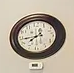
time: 7:43
